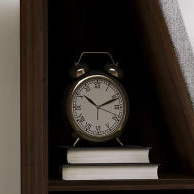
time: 10:11
